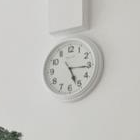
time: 5:15
